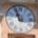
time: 10:56
